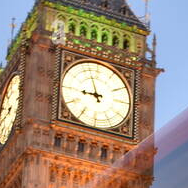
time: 8:56
